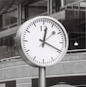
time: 12:19
